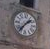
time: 1:36
